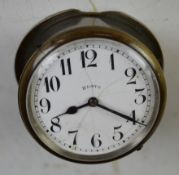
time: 8:20
